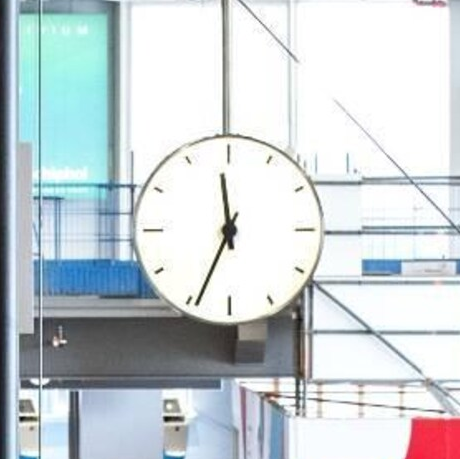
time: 11:34
